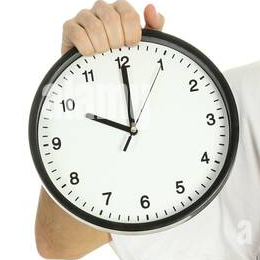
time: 10:00
